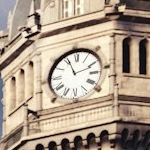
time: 11:11
